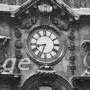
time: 8:33
